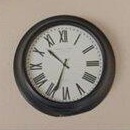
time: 10:33
